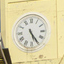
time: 5:24
